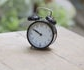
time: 9:50
